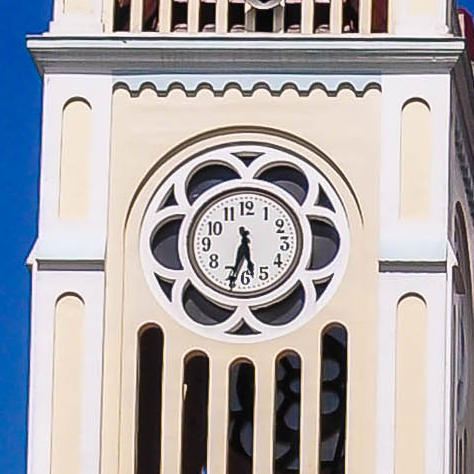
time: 5:32
